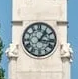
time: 1:16
